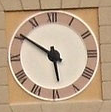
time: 5:50
